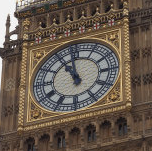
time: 10:58
